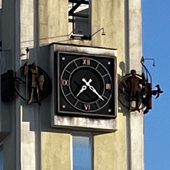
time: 7:21
